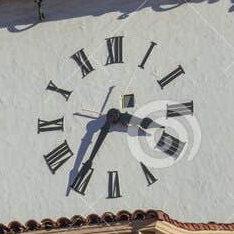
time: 3:34
